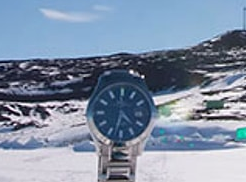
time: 4:32
